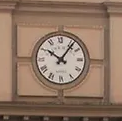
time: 10:06
